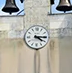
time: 4:14
